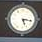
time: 5:16
